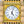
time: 5:03
